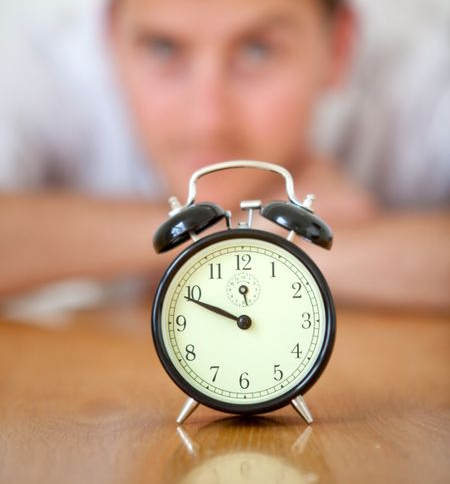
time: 9:49
